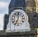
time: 7:00
